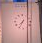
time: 7:34
